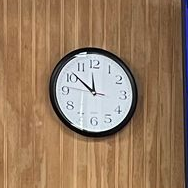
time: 11:51
